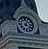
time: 4:04
